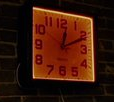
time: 12:10
